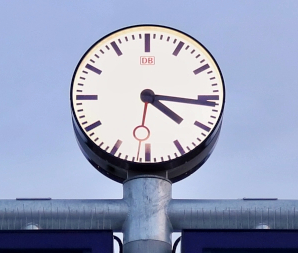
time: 4:16
